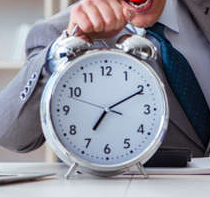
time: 7:10
